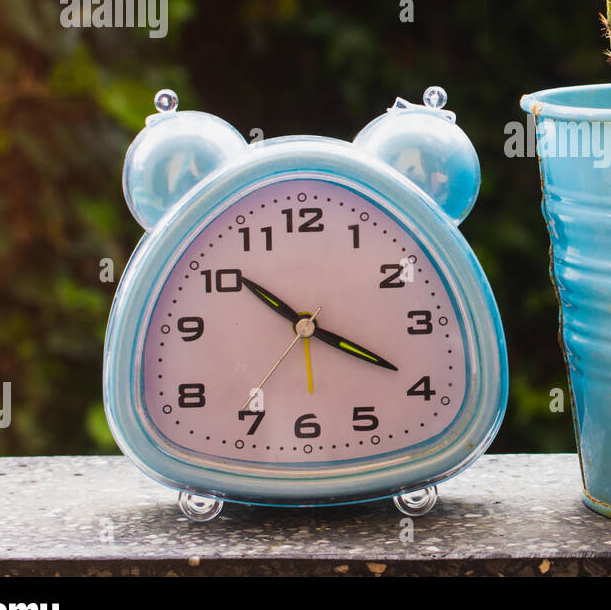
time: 10:19
